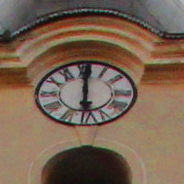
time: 12:00
